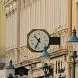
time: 10:34
